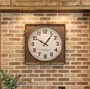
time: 10:06
